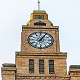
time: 1:05
